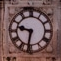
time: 9:32
